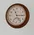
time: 11:14
